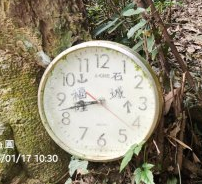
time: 8:42
